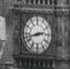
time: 2:42
